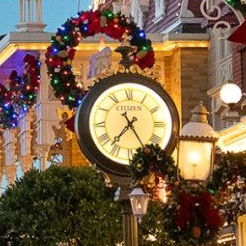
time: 7:24
